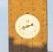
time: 8:11
